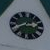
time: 2:40
